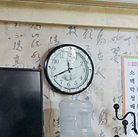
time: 11:40
